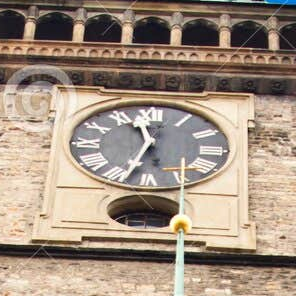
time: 11:33
